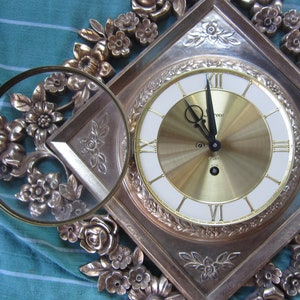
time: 10:59
